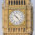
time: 10:23
